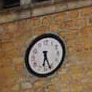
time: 6:26
